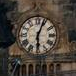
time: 6:03
